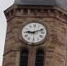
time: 9:11
